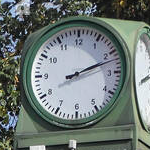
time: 2:11
